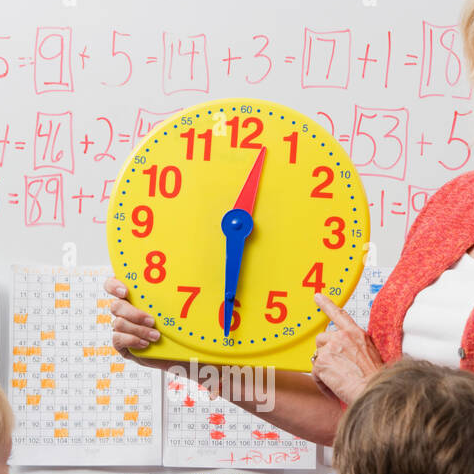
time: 12:30
